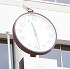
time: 11:28
